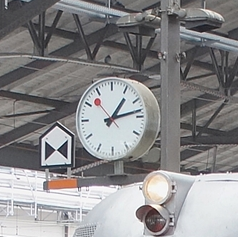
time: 1:13
